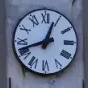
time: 12:42
